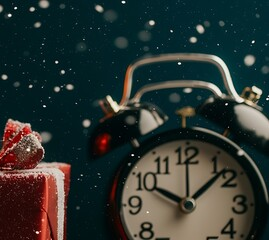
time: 10:07
